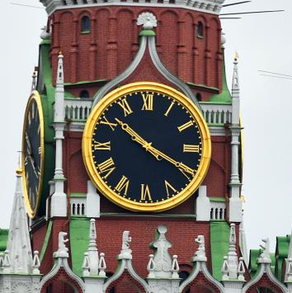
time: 10:19
